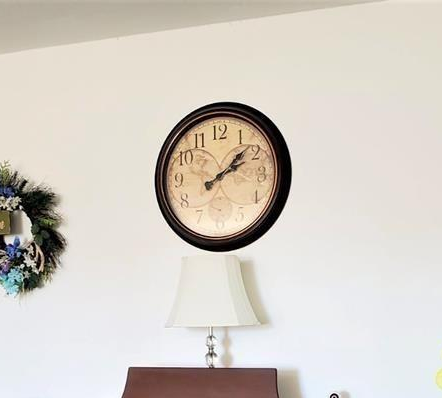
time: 2:07
